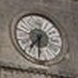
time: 7:31
